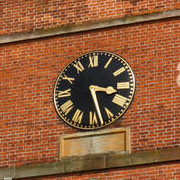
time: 3:27
